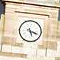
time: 5:18
